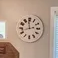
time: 11:42
